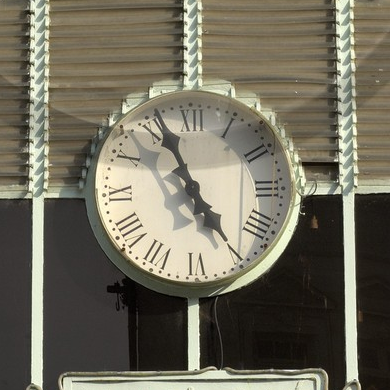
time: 4:56
